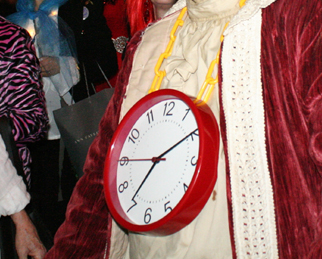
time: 7:09
